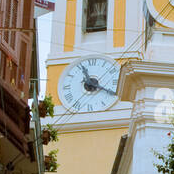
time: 11:19
